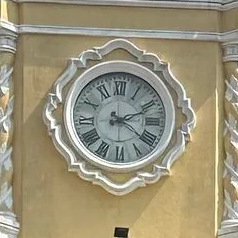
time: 2:21
